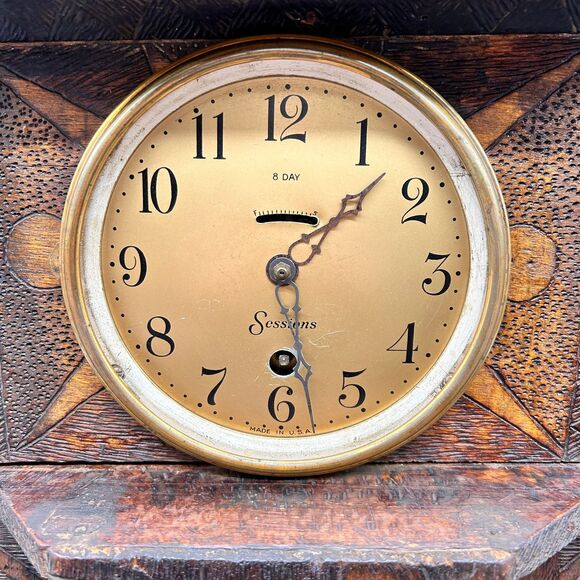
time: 1:28
